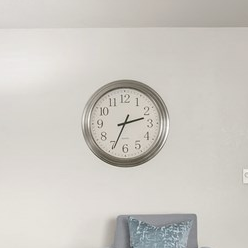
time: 2:34
